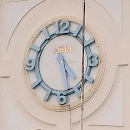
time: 4:26
